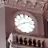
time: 8:12
